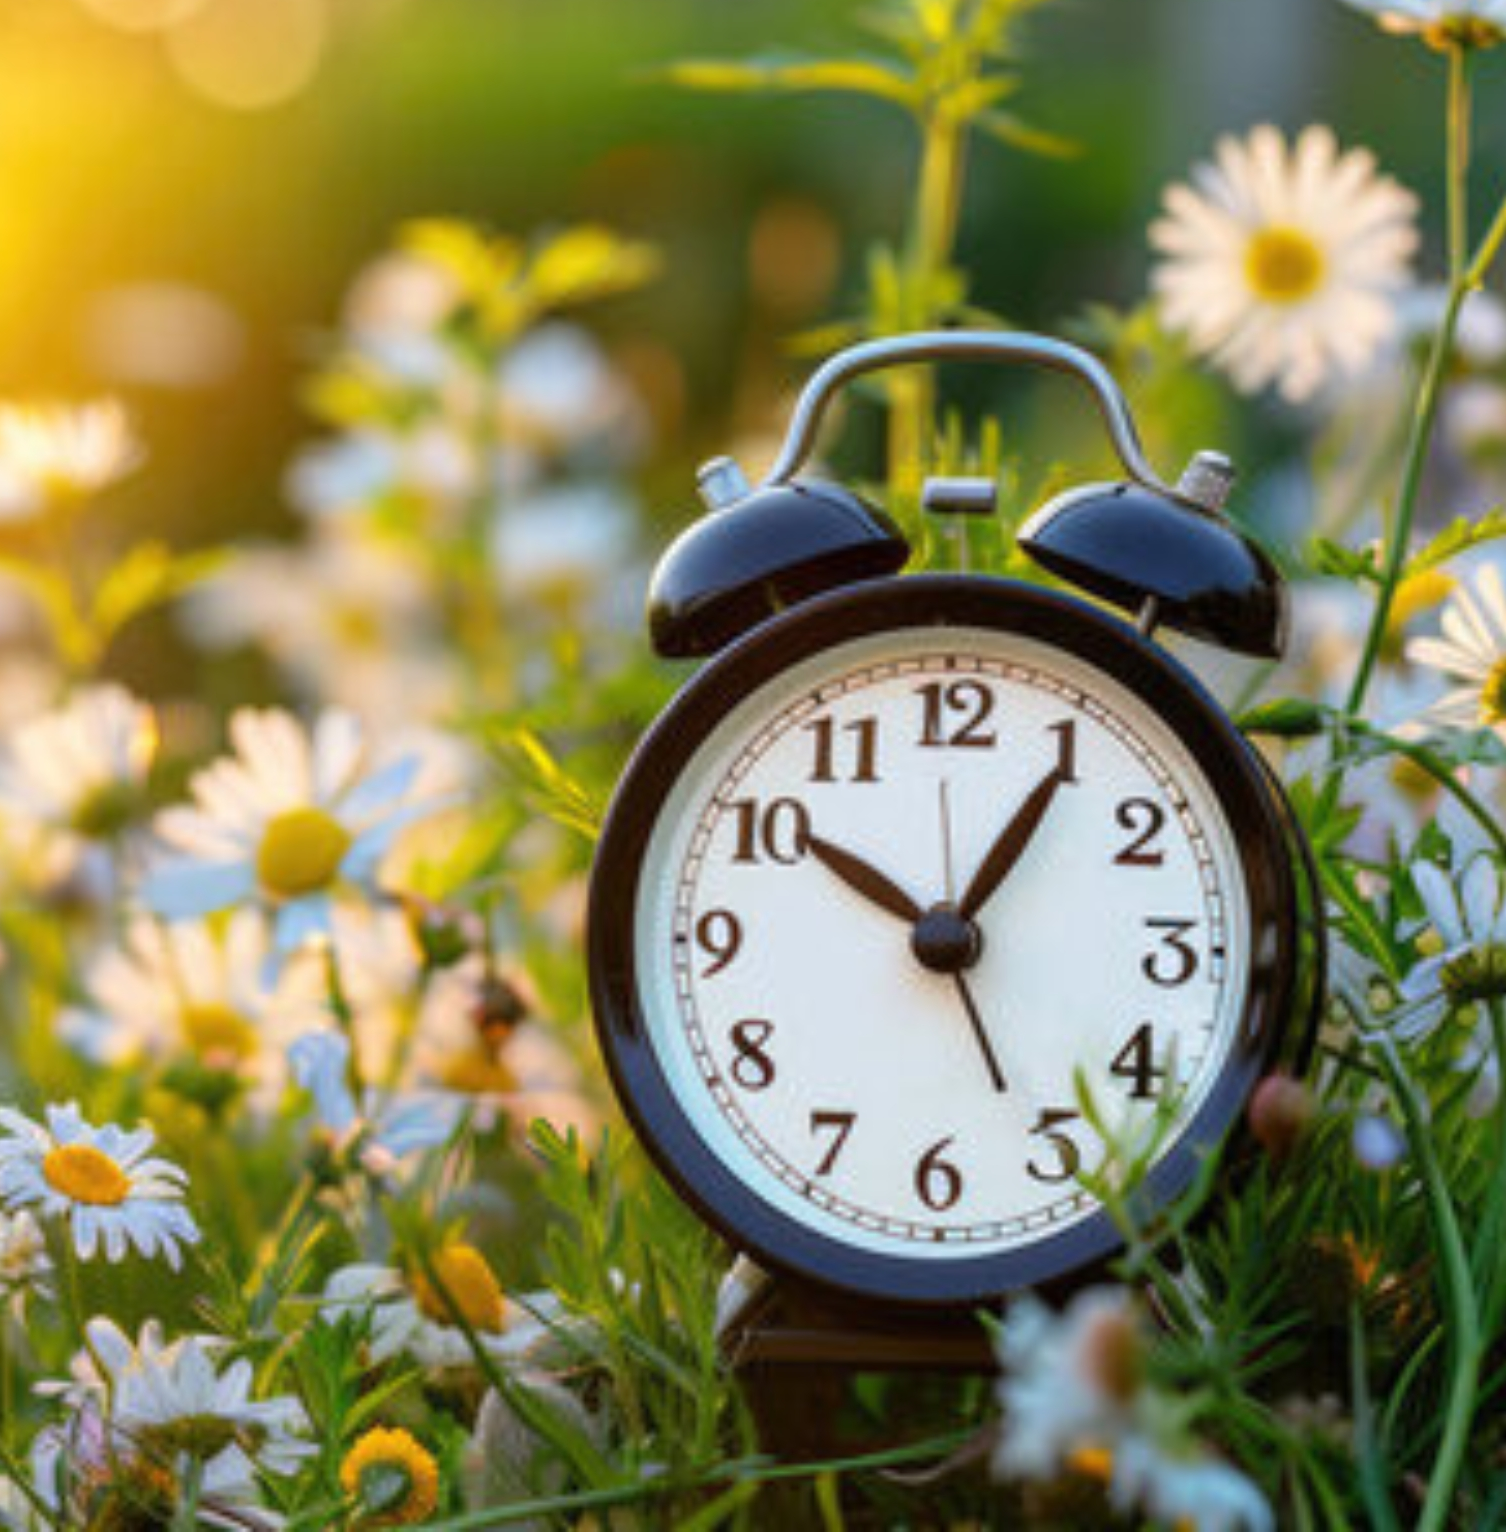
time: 10:05
